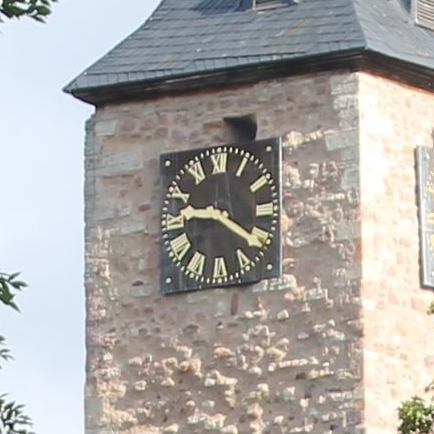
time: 9:20
